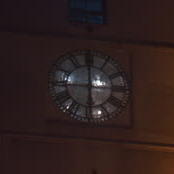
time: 5:59
